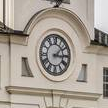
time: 3:08
